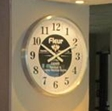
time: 1:50
